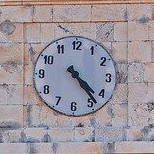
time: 4:23
